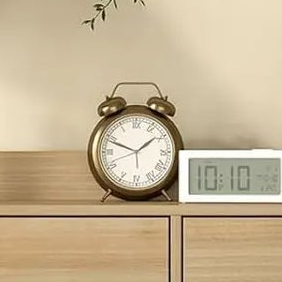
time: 1:48
